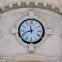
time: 11:42
